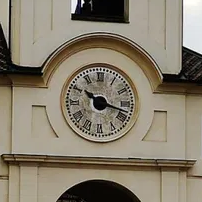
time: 10:17
